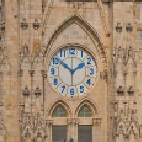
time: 1:51
